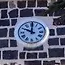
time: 10:00
